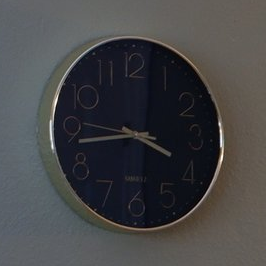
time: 3:43
